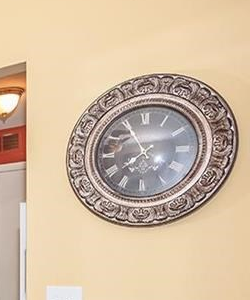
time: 7:55
